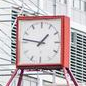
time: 1:46
